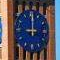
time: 9:00
